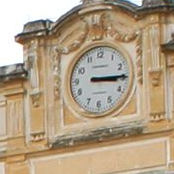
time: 3:14
